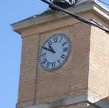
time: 10:50
